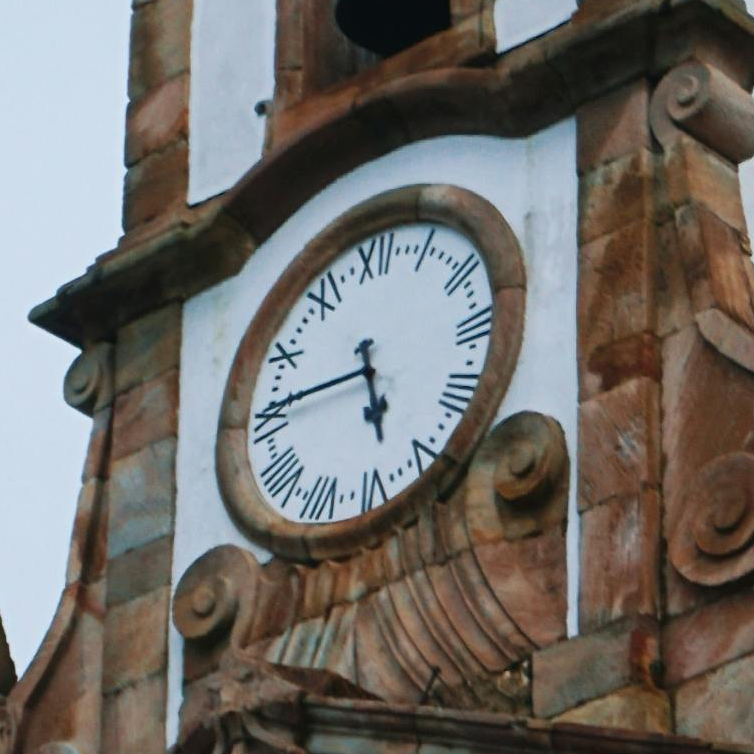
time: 5:45
